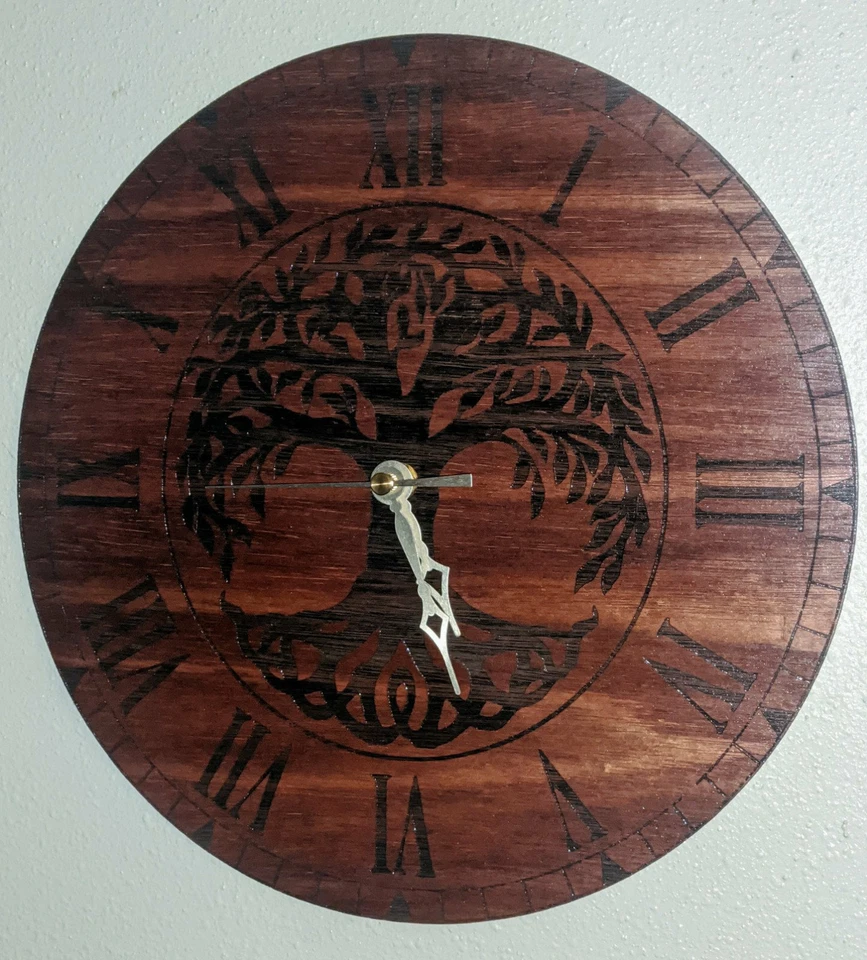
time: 5:26
